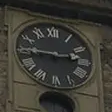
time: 2:45
